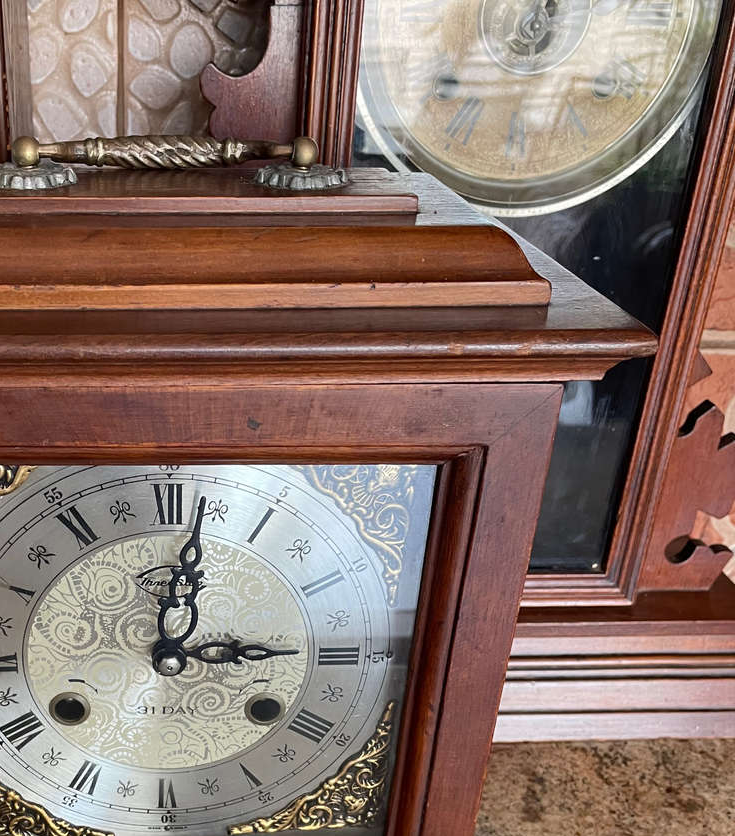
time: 3:01
